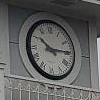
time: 10:14
